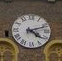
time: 4:11
